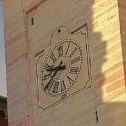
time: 8:38
